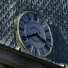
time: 3:40
